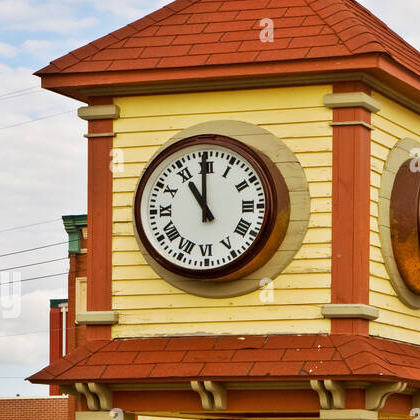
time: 10:59
